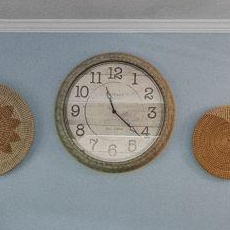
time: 11:21
